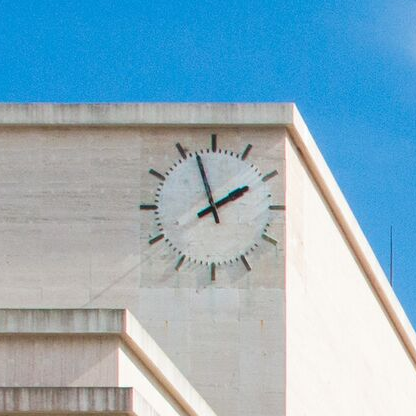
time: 1:57
